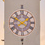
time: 1:50
